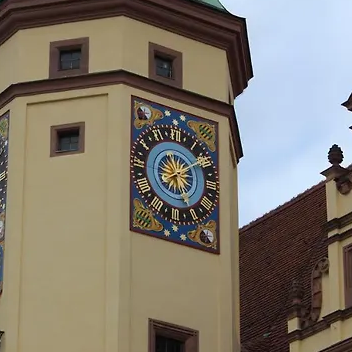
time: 5:09
